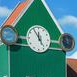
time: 11:54
